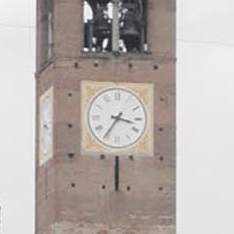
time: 3:35
